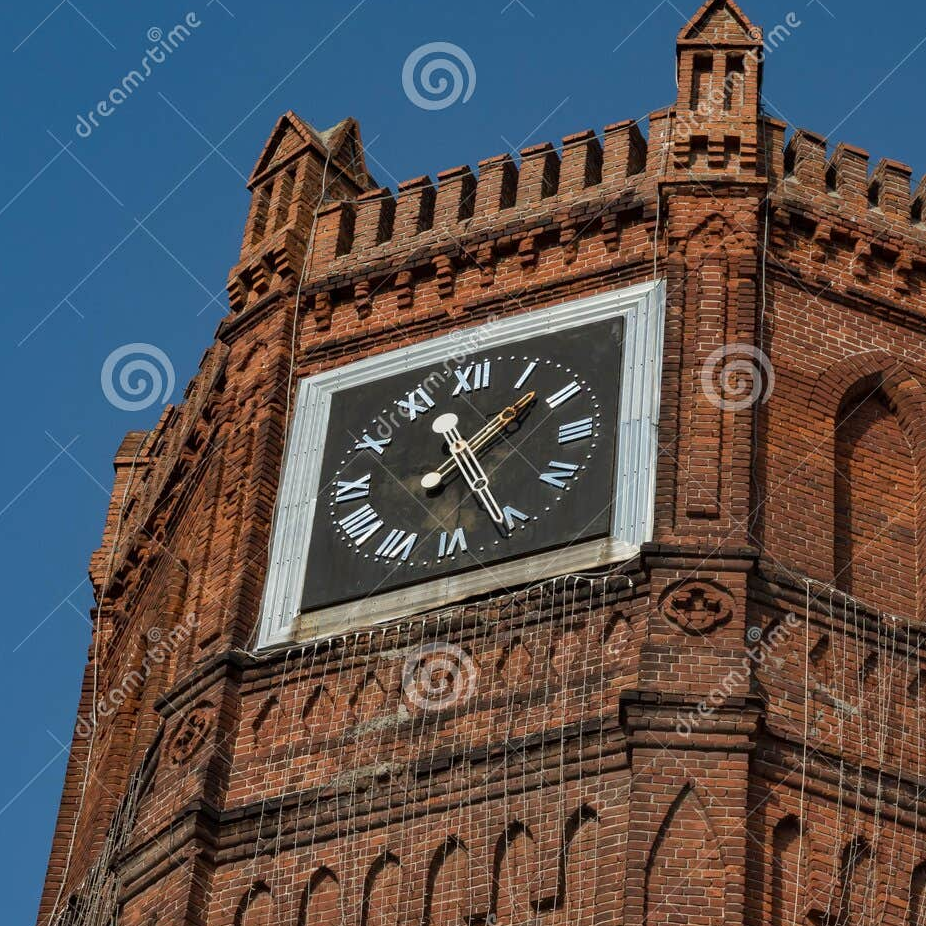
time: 1:26
